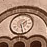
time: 1:28
